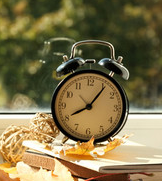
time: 8:06
